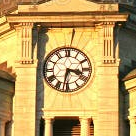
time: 3:32
